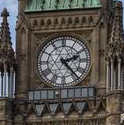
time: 2:23
